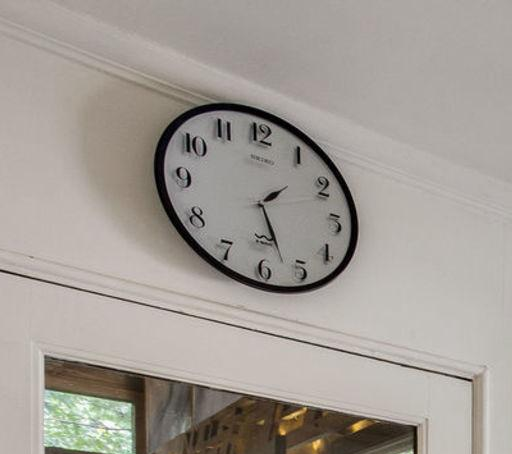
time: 1:26
